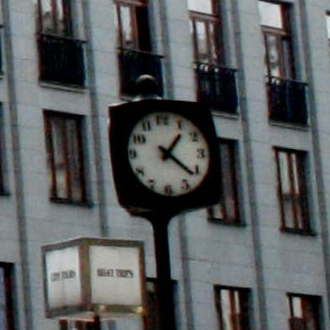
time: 1:21
